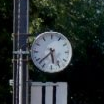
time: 5:38
